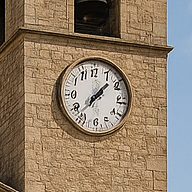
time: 1:37
